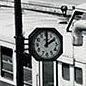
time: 2:00
